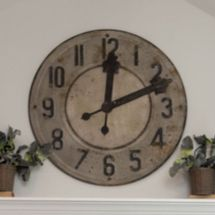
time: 12:11
